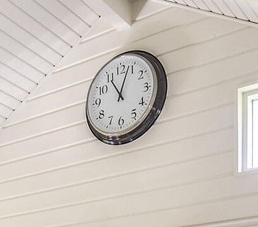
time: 11:03
